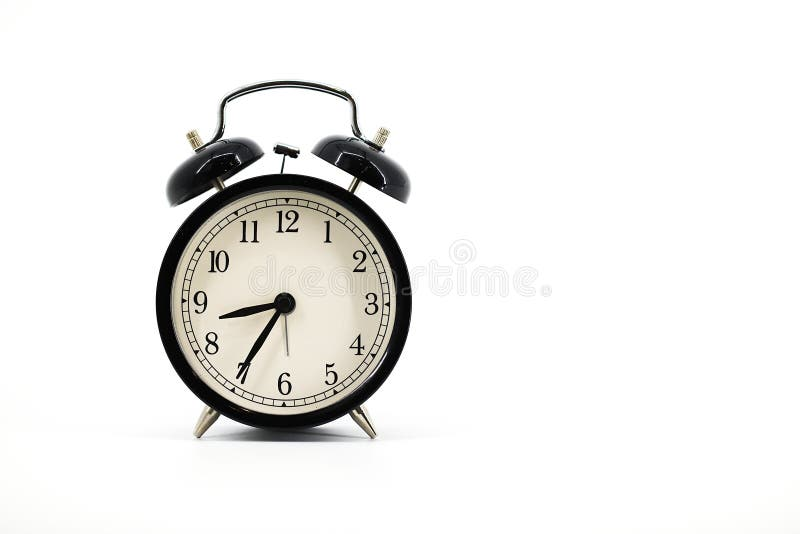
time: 8:35
